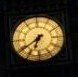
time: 6:39
